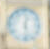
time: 12:28
